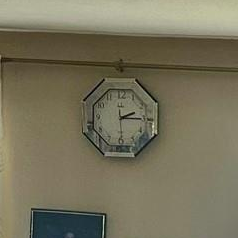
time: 2:15
